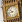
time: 10:42
